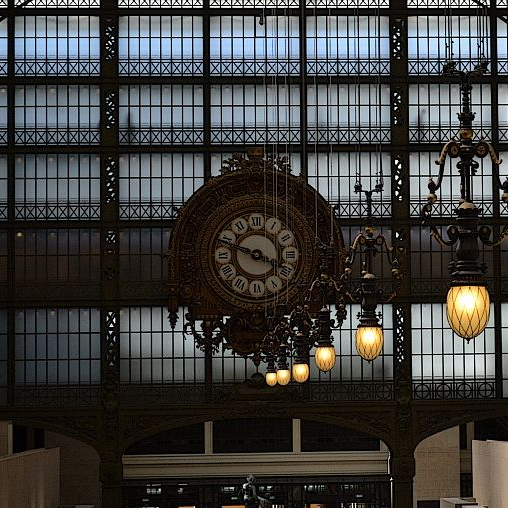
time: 9:48
